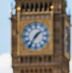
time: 1:35
